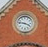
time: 3:46
